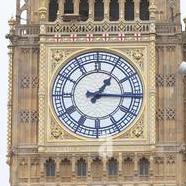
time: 1:16
